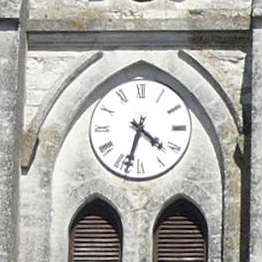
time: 4:33
